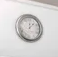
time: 12:07
